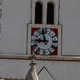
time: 8:57
